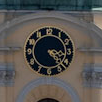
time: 3:22
